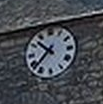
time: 10:37
